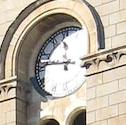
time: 11:46
